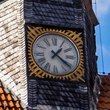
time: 1:21
